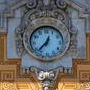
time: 12:37
